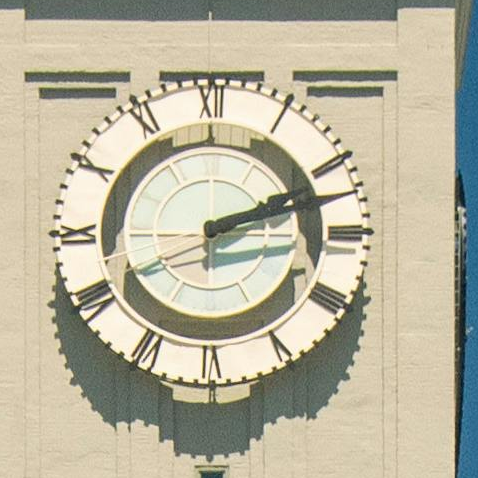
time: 2:12
